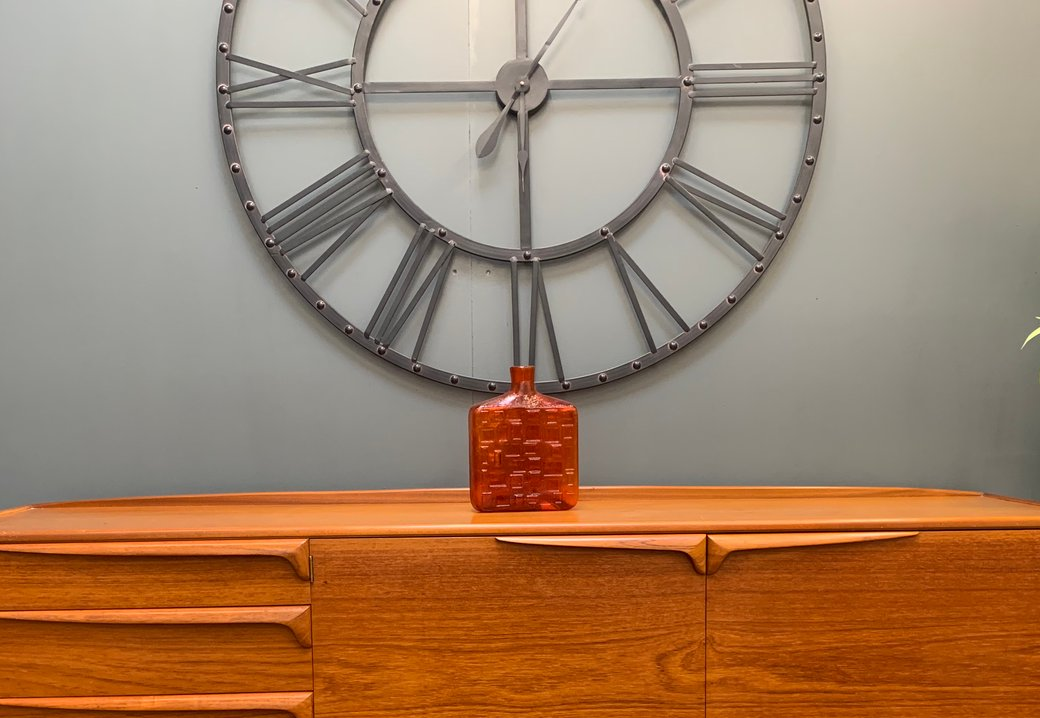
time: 12:14
